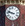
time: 9:47
